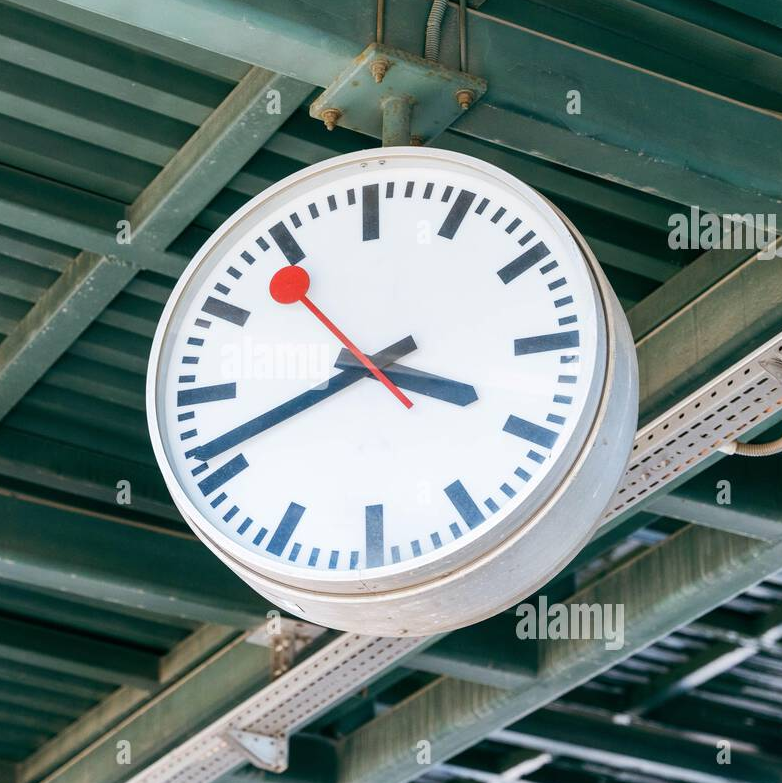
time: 3:41
